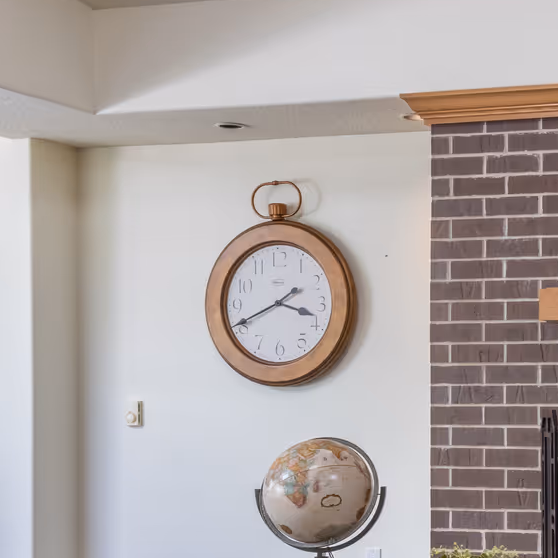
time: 3:40
